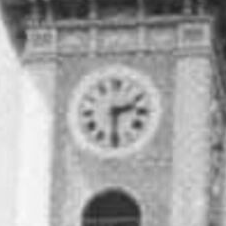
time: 2:29
